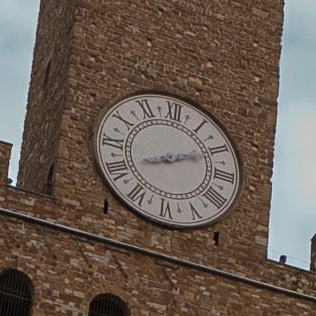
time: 8:10
